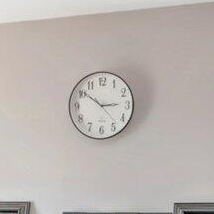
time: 2:50
